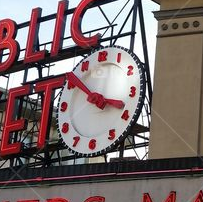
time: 3:51
